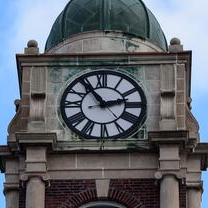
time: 2:54
